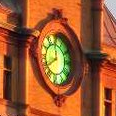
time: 11:40
